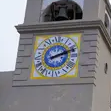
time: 2:11
